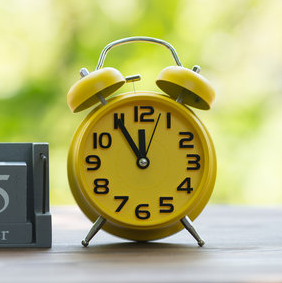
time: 11:54
